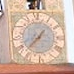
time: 7:37
